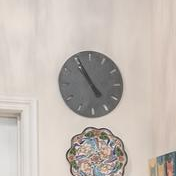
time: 10:55
